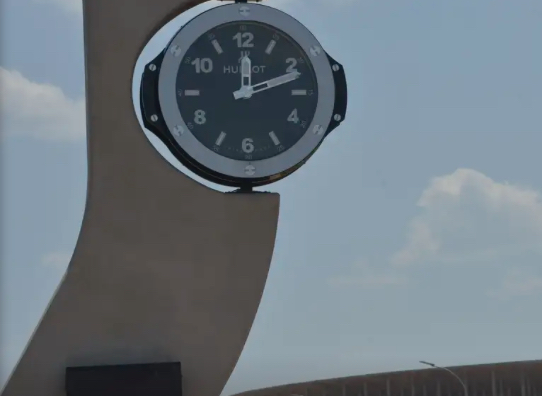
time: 12:11
